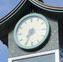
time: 7:34
